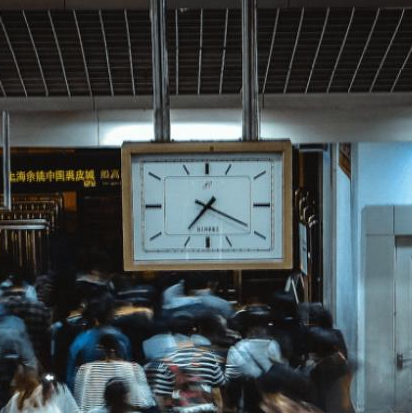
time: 7:19
